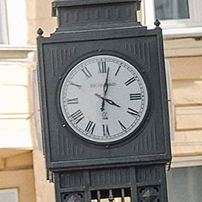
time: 4:01
